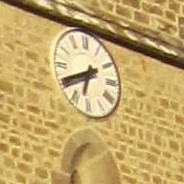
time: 6:40
